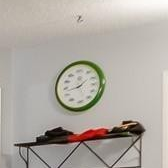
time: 1:42
